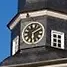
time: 1:28
